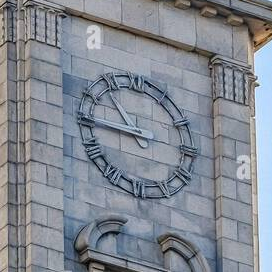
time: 10:45
